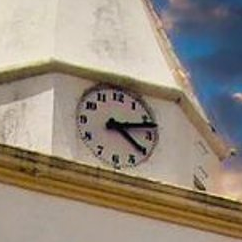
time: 4:12
